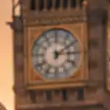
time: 3:09
